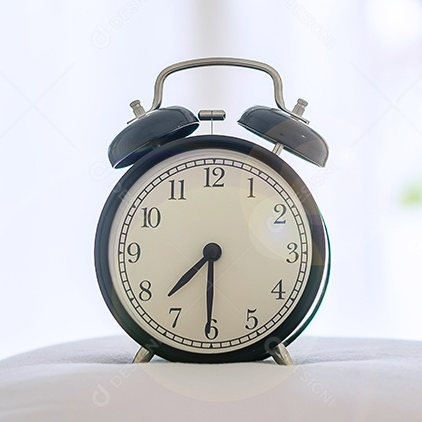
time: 7:30
